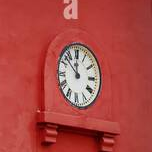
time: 11:52
